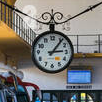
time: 3:06
